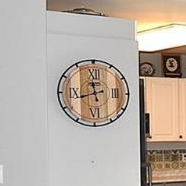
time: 11:42
